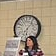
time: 6:06
